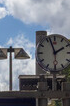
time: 1:56
